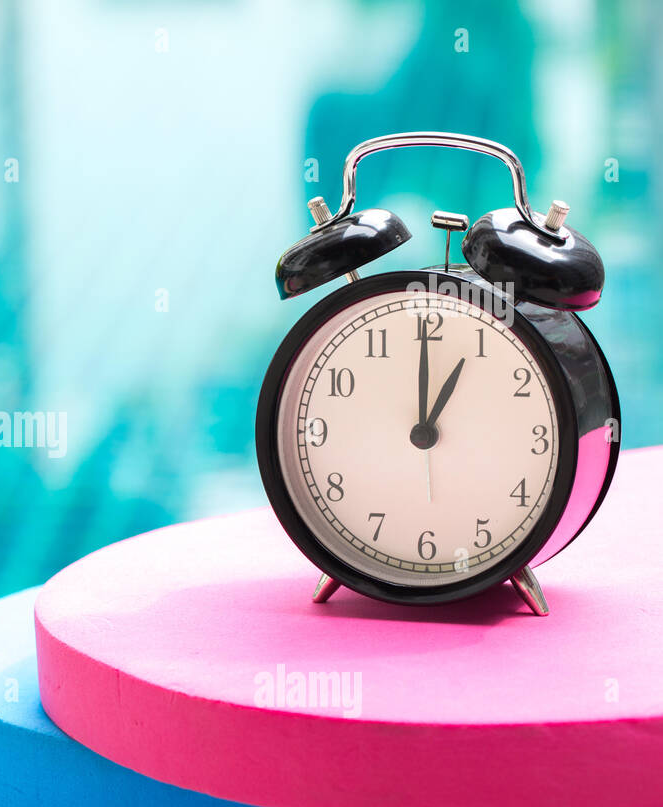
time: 1:00
